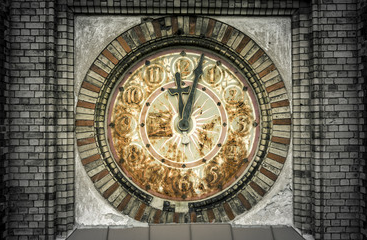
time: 12:02
